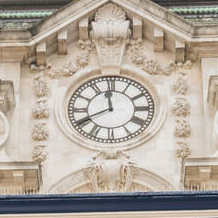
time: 11:40
